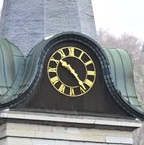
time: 10:23
